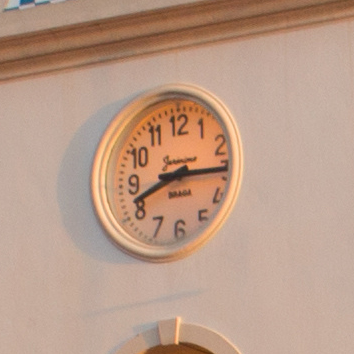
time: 8:15
